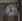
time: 11:37
